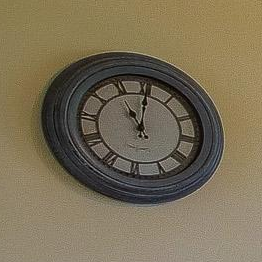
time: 11:00
